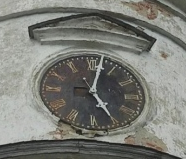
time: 5:02
